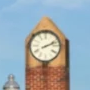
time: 2:11
